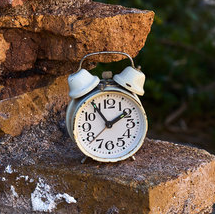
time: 1:54
